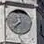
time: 7:37
